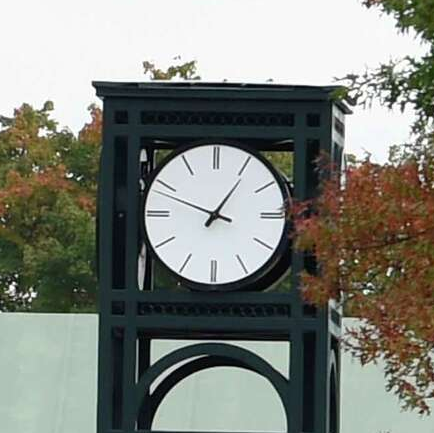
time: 12:48
